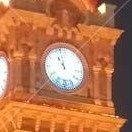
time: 10:58
